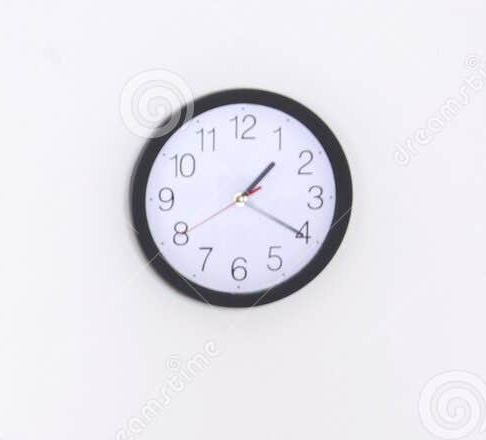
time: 1:20
